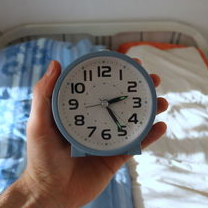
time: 2:25
